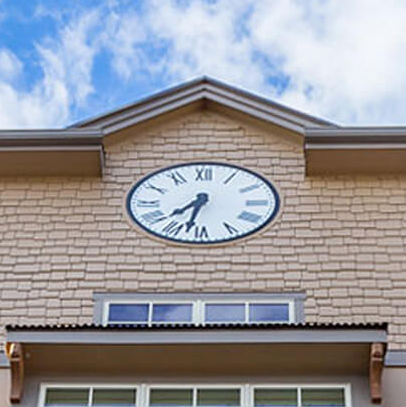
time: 7:32
